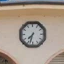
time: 7:32
